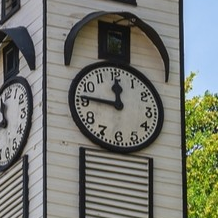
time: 11:46
